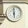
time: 5:59
